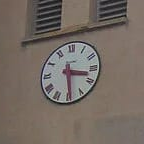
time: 3:29
